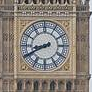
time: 8:40
